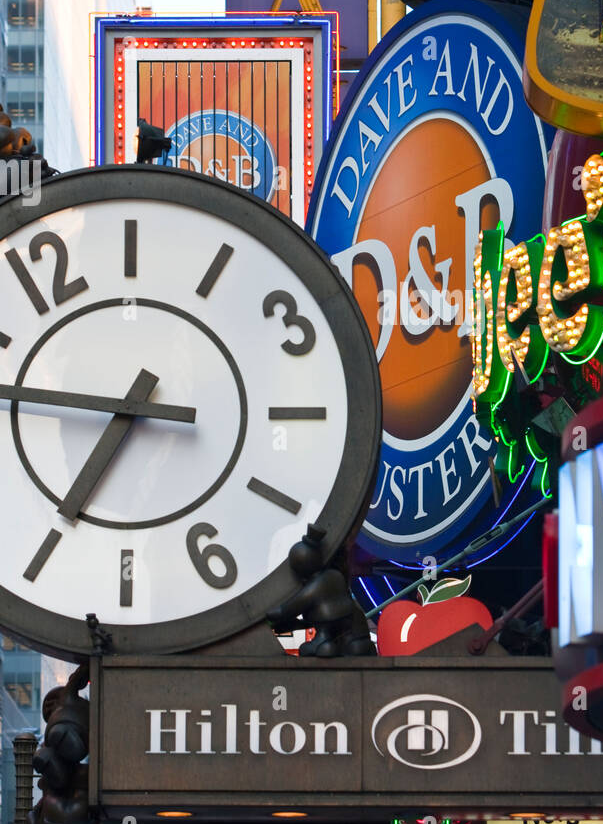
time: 6:46
